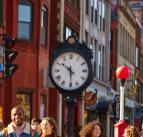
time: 5:51
